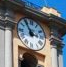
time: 2:54
